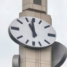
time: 10:59
